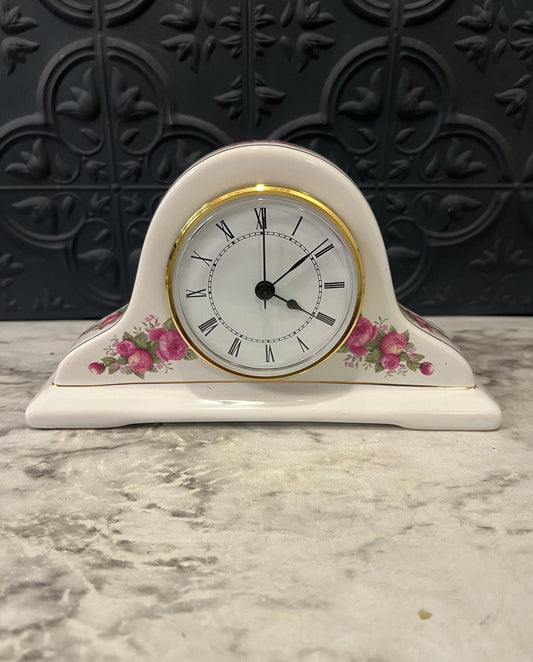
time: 4:00
